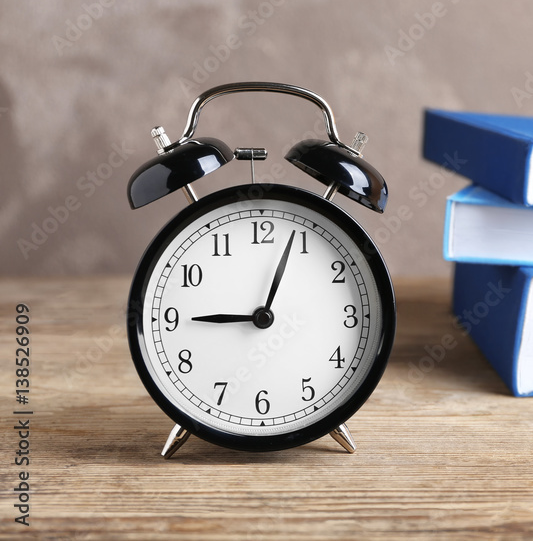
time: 9:03
